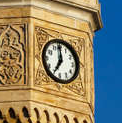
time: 6:59
